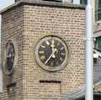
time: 11:35
